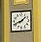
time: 1:41
